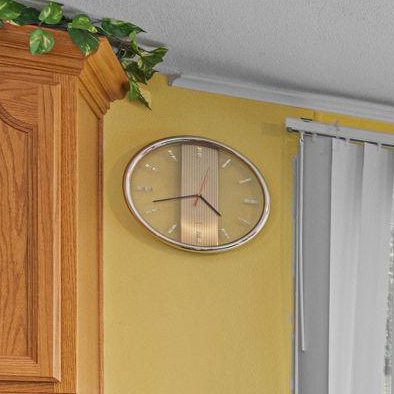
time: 4:42
